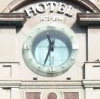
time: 11:33
